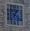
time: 1:20
